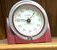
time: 9:07
